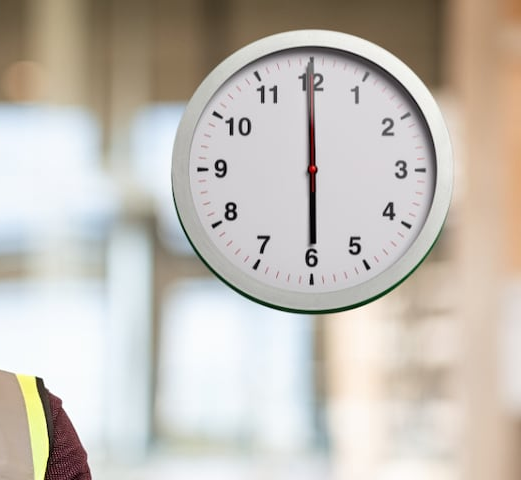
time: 5:59
